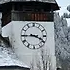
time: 3:44
